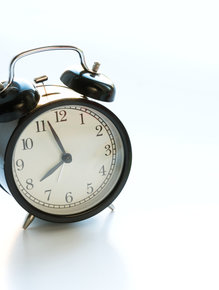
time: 7:56
